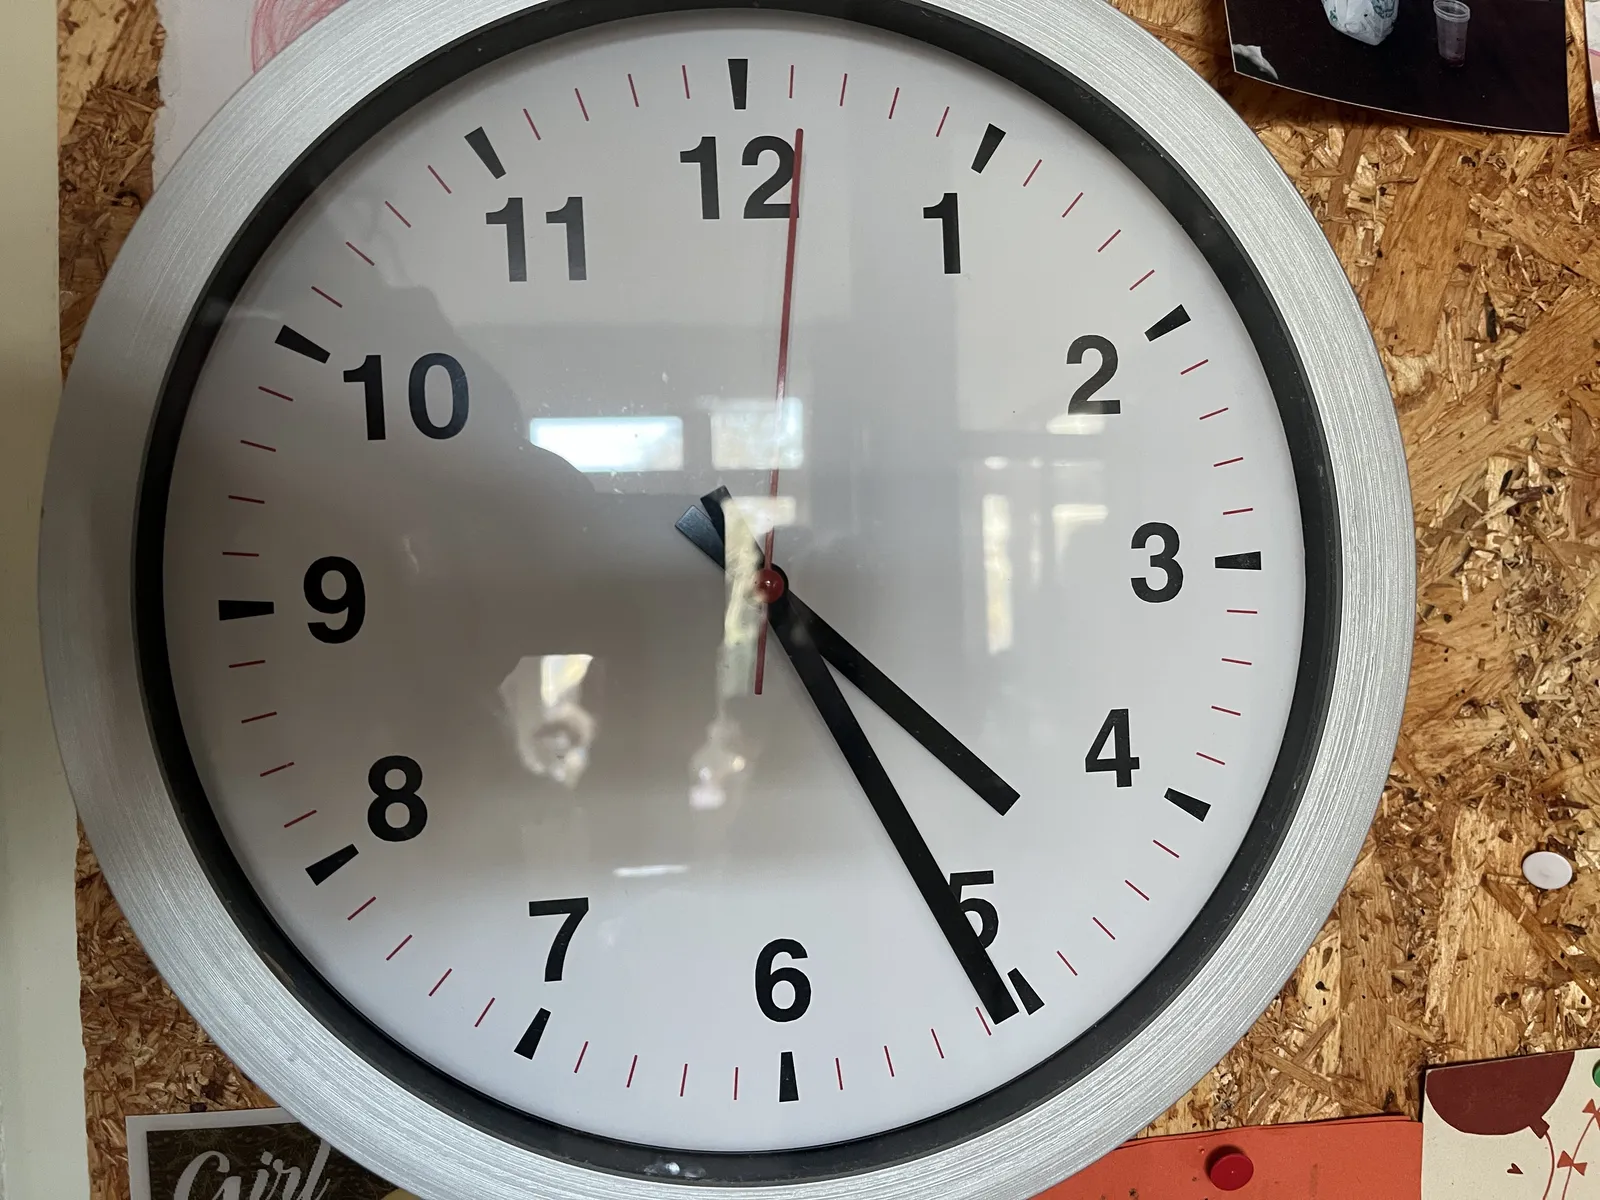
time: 4:25
